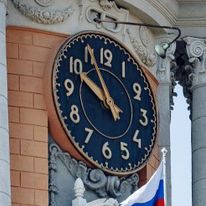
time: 9:55
